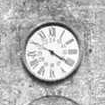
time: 4:20
